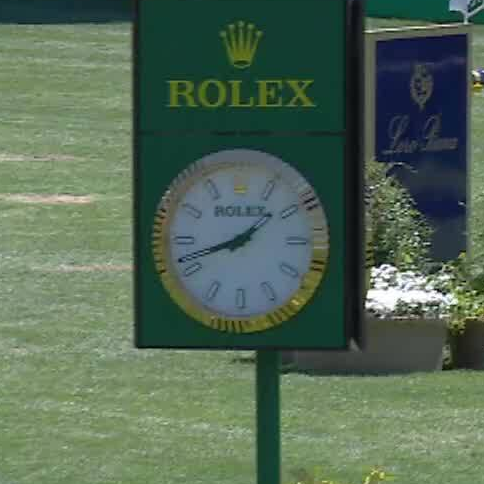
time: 1:41
